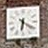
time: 6:20
